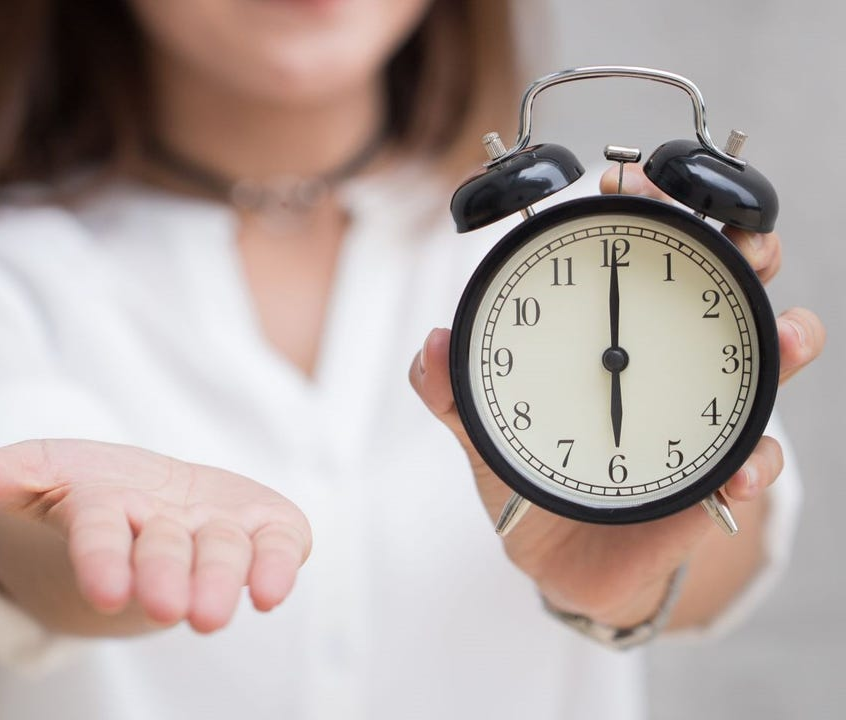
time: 6:00
